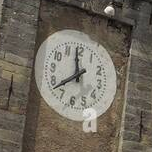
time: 11:38
